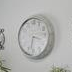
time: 3:32
